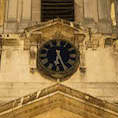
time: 6:25
